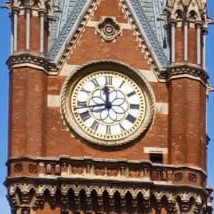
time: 11:42
